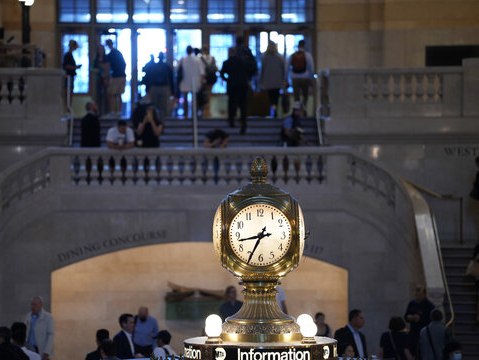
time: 8:34
